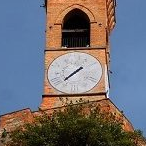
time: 1:37
